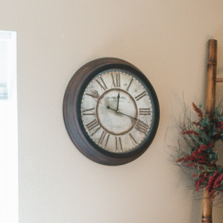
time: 12:18
